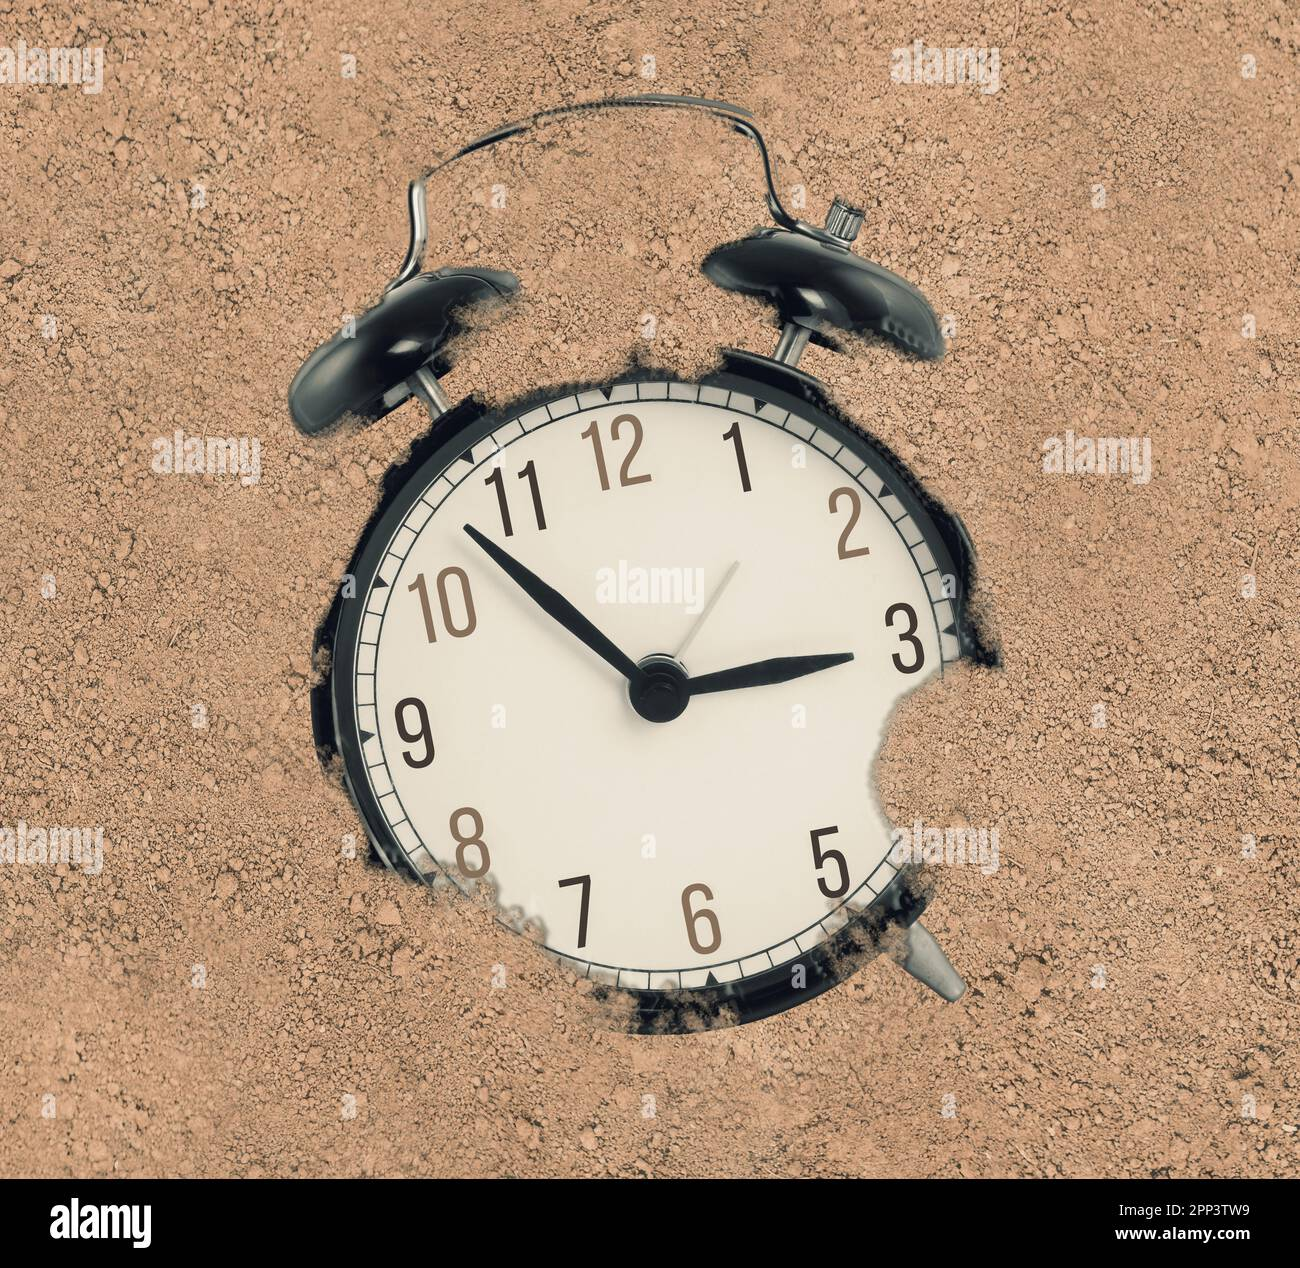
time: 2:53
